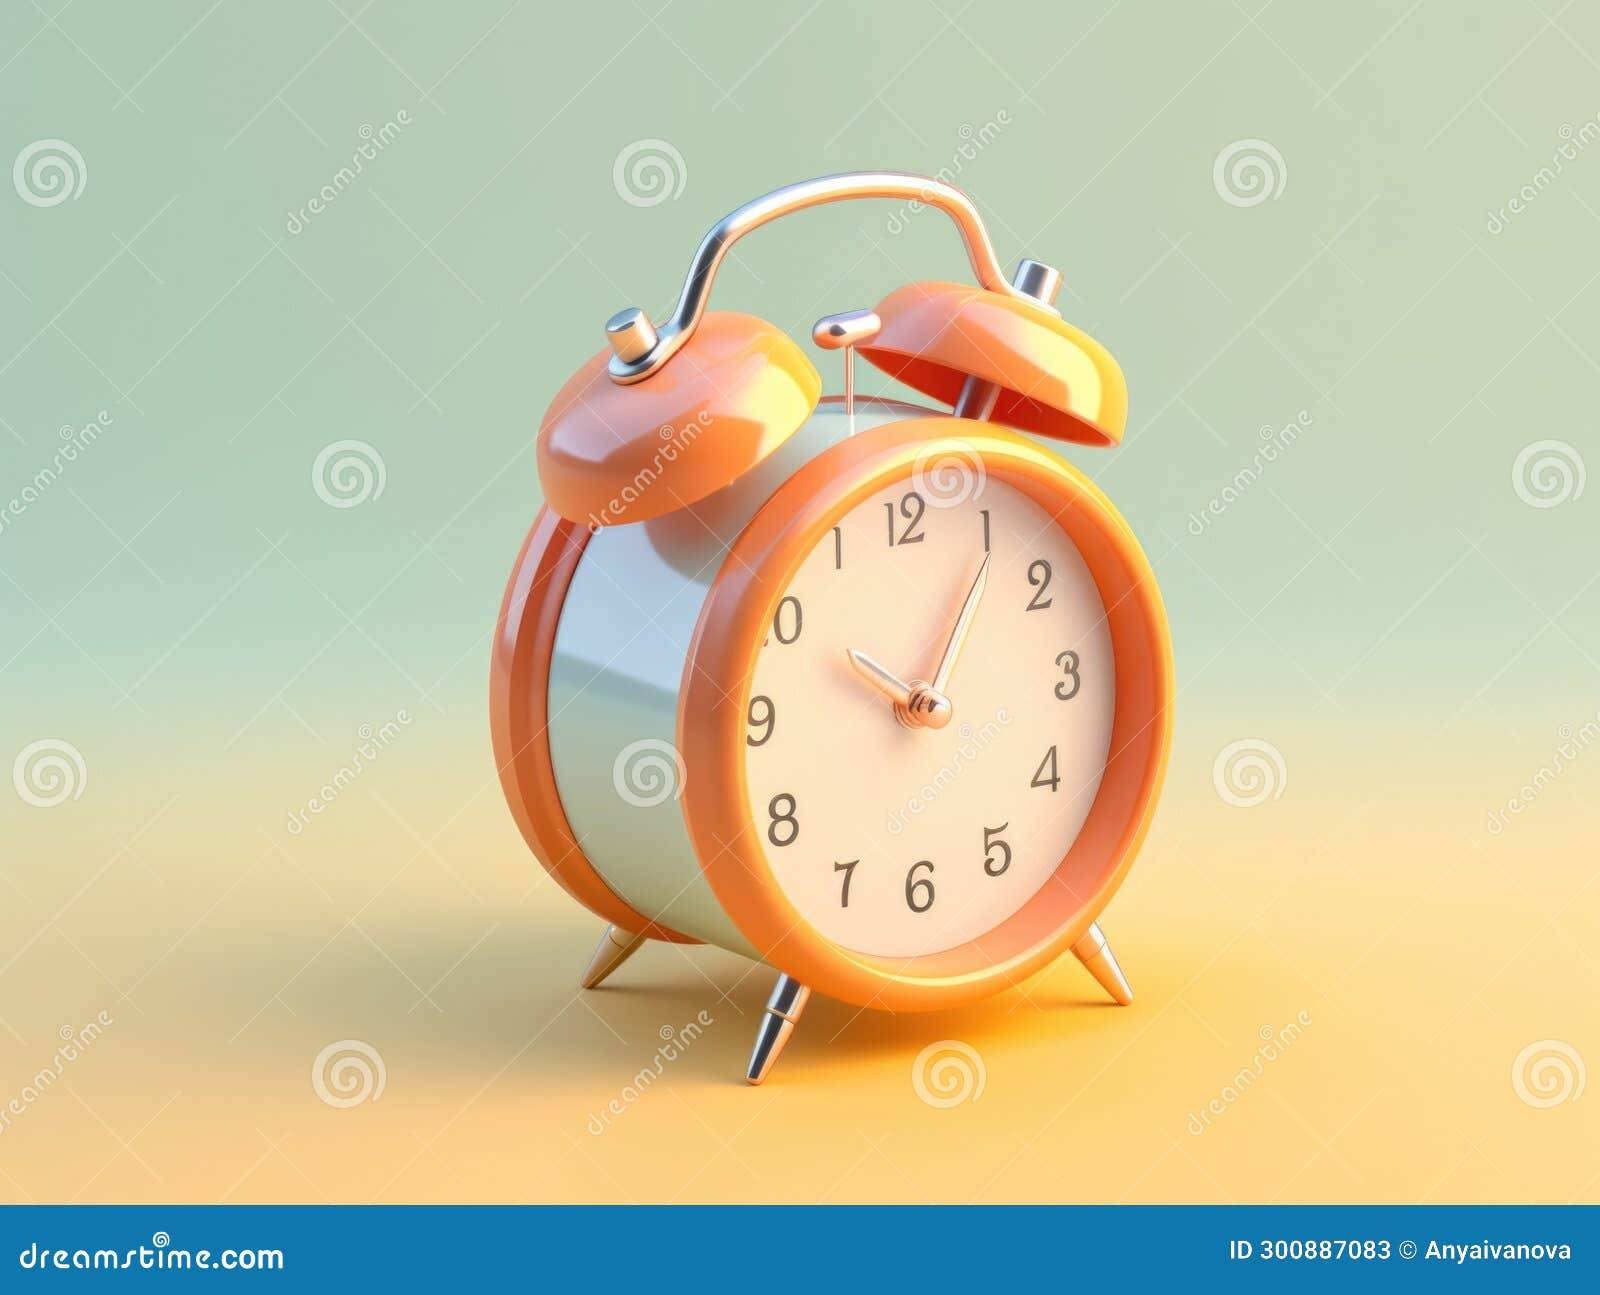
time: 10:05
